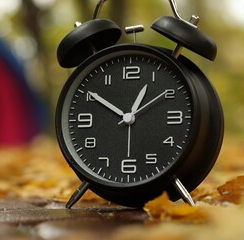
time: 12:50
